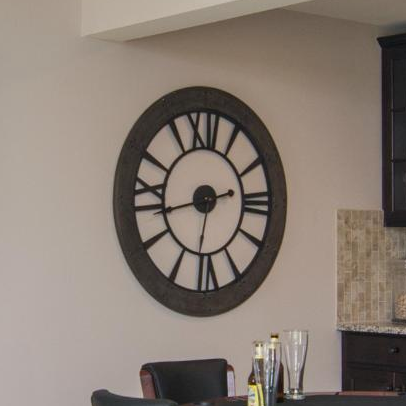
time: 2:42
